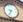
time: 9:34
